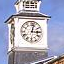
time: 3:02
